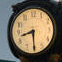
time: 8:30
